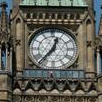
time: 12:37
